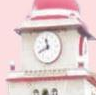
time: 11:40
